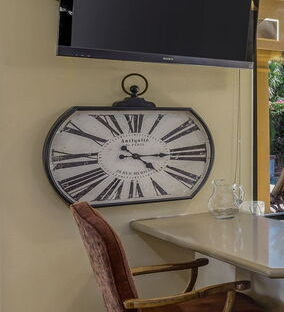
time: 4:14
